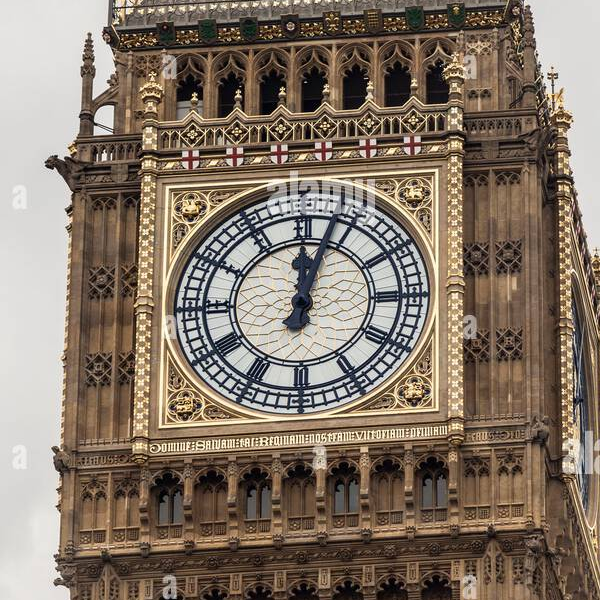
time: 12:03
